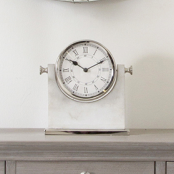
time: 10:10
